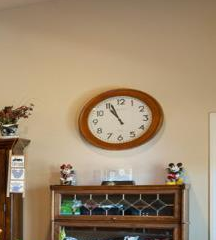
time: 10:56
